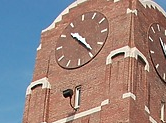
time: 10:23
